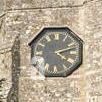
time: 4:12
